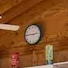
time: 2:45
